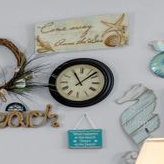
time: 11:07
